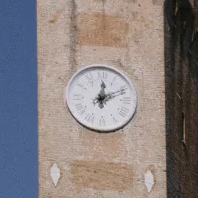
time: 12:10
